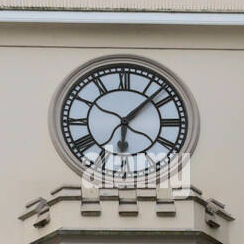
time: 6:07
